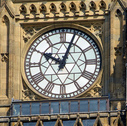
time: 10:03
